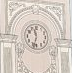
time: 11:32
